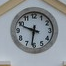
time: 9:31
